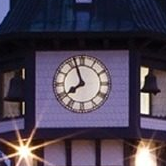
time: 7:56
